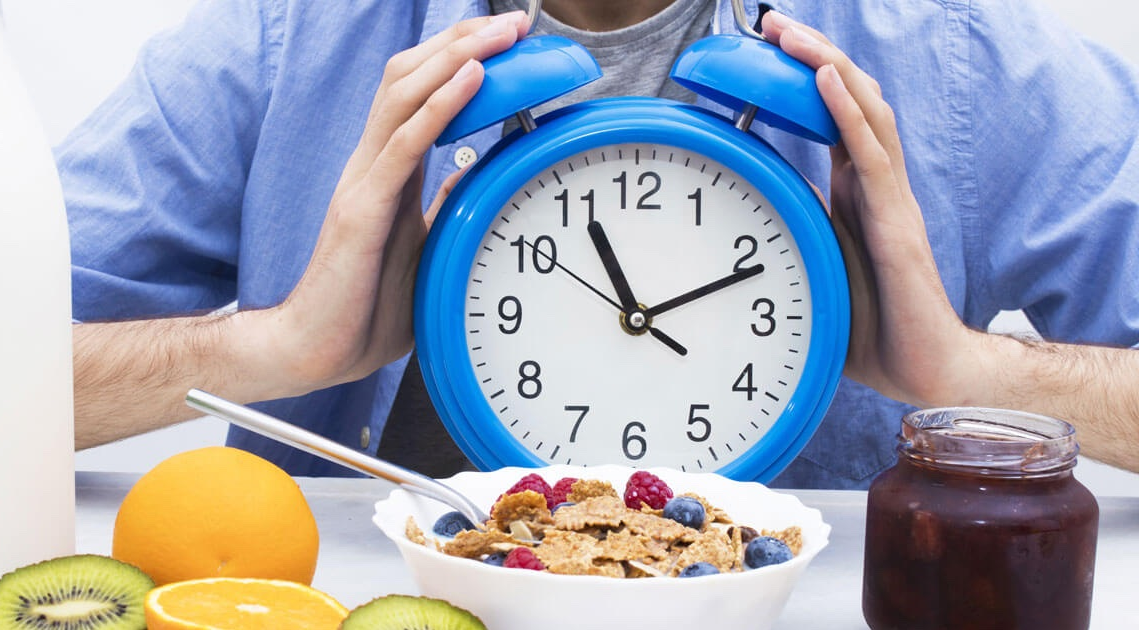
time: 11:11
